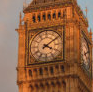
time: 4:09
